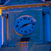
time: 8:12
